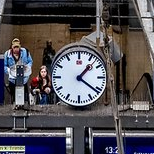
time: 1:21
